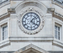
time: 4:07
